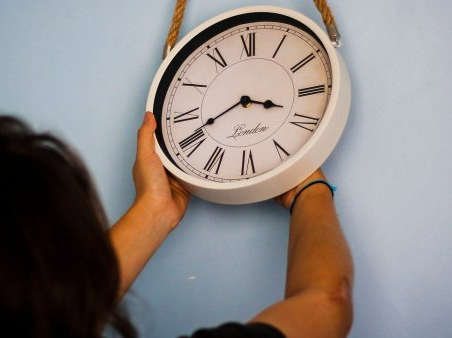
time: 3:40
